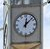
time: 12:07
